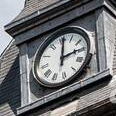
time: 3:01
